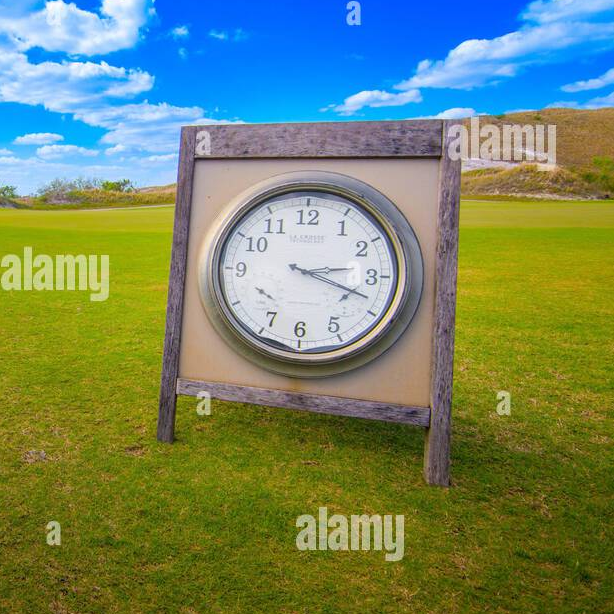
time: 3:18
